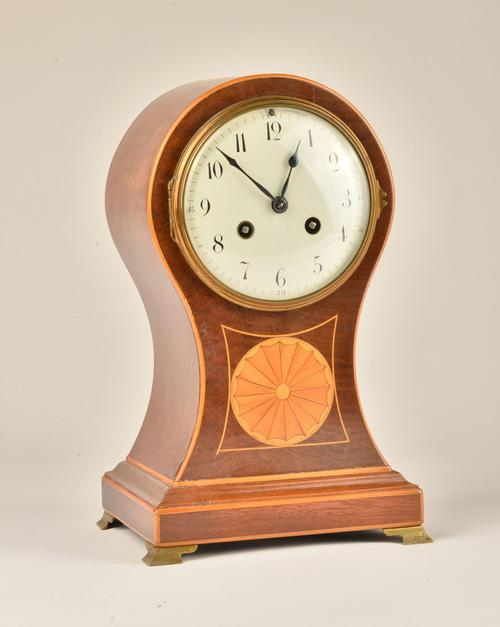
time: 12:52
